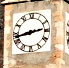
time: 2:42
